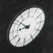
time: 8:51
